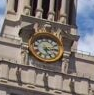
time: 5:14
